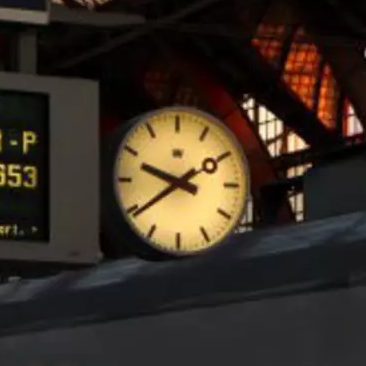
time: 9:39
